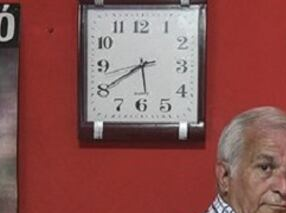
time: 5:40
